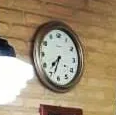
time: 7:33
